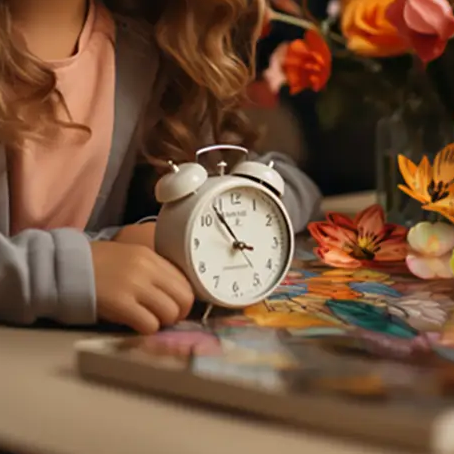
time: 3:54
